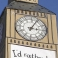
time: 3:04
